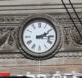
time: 2:15
